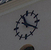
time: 11:19
